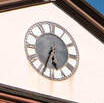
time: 5:33
